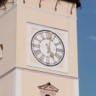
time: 5:02
